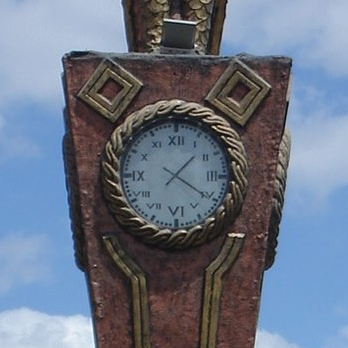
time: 1:20
